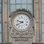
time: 9:40
